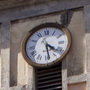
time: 4:28
